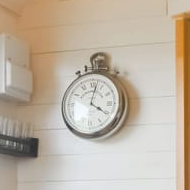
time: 4:01
